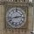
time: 2:42
